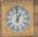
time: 12:59
